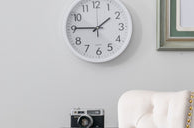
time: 1:45
